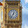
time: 12:36
